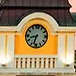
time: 8:32
